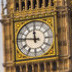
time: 11:46
